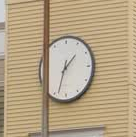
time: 1:33
